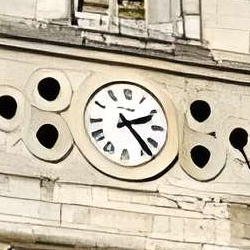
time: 2:23
